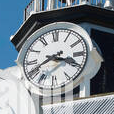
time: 3:40
